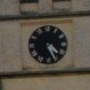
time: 4:26
